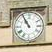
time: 10:55
